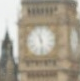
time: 11:28
